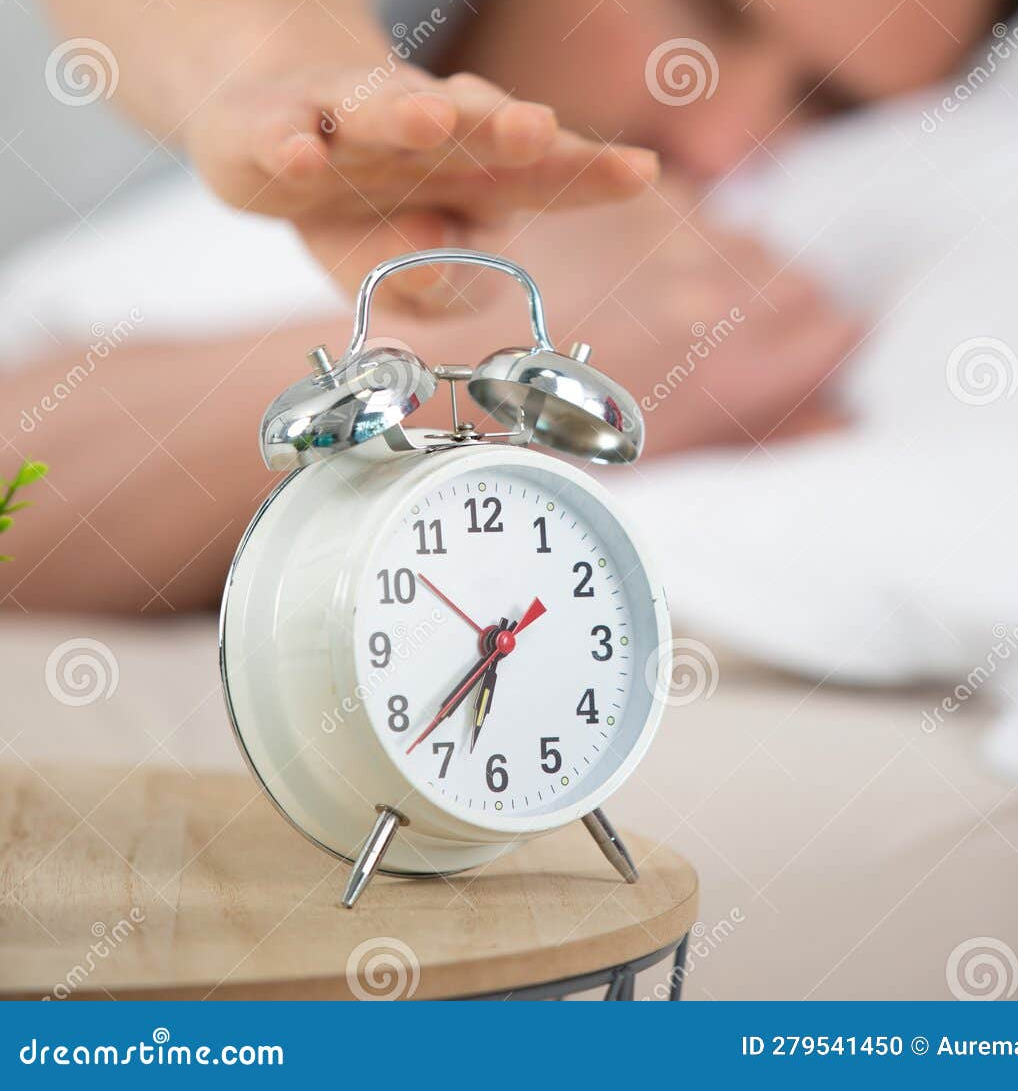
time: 6:36
